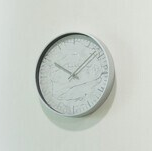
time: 10:07
